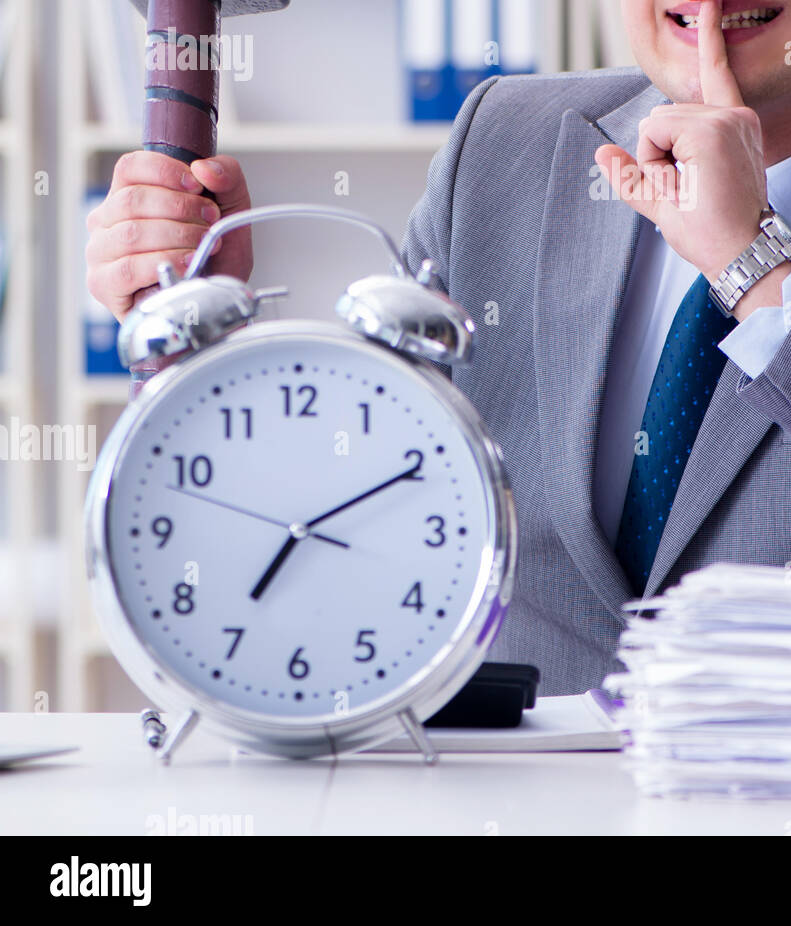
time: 7:10
